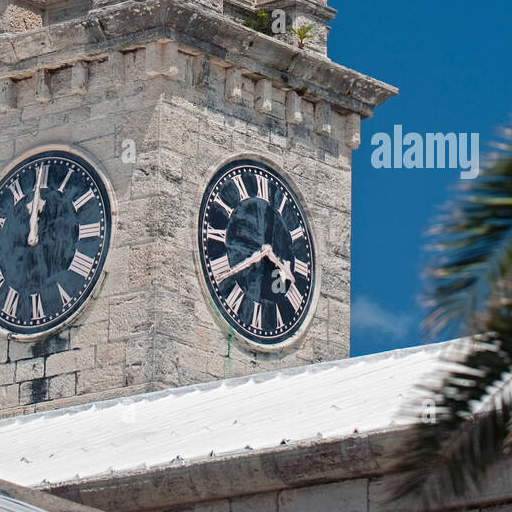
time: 3:40
